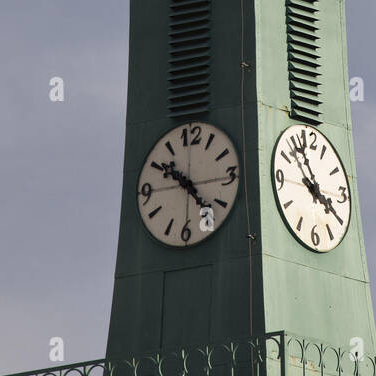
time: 10:23
